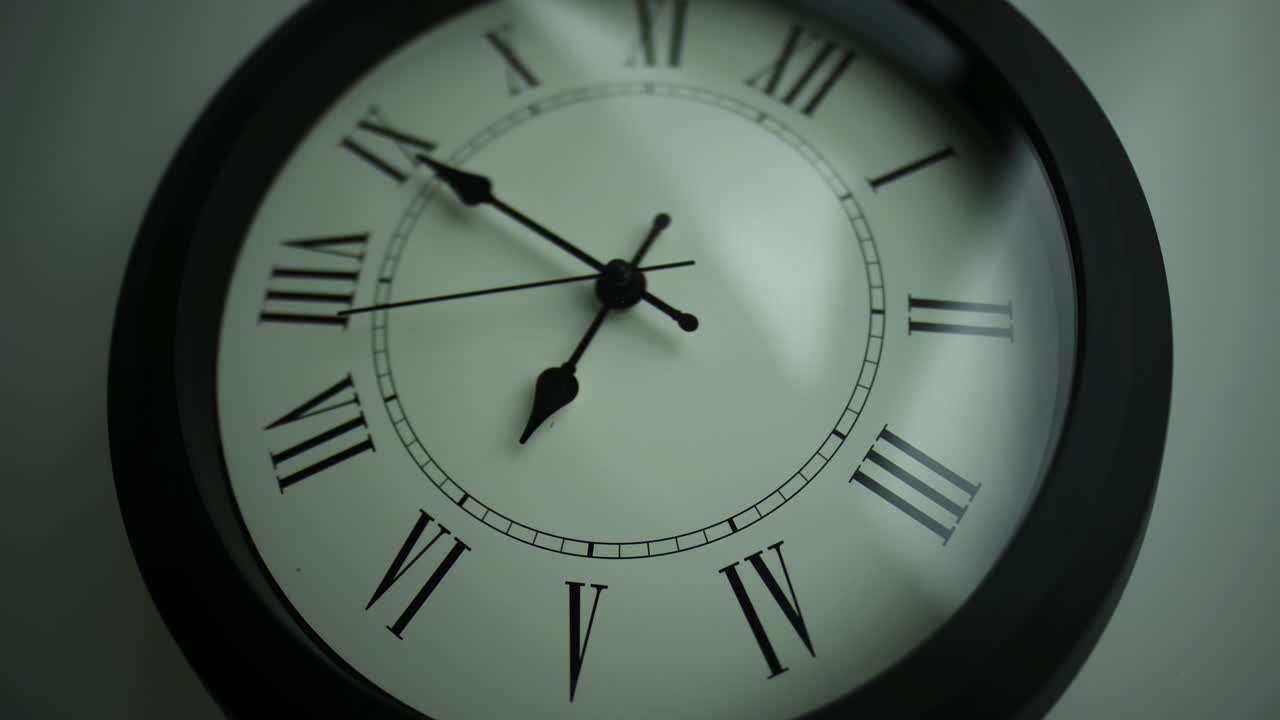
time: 6:50
